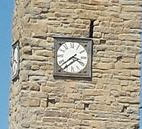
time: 3:38
